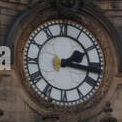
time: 2:16
